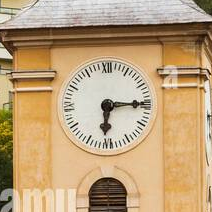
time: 6:14
